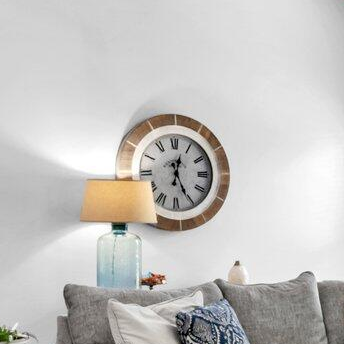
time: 12:25
